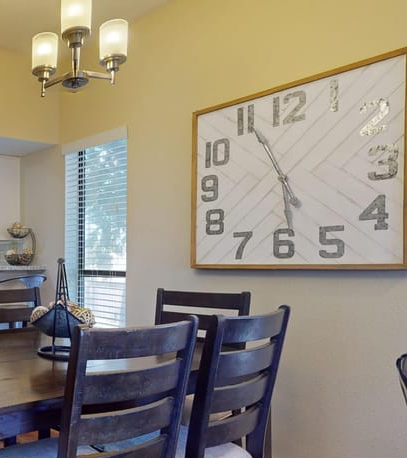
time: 5:55
